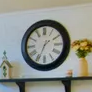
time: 1:34
